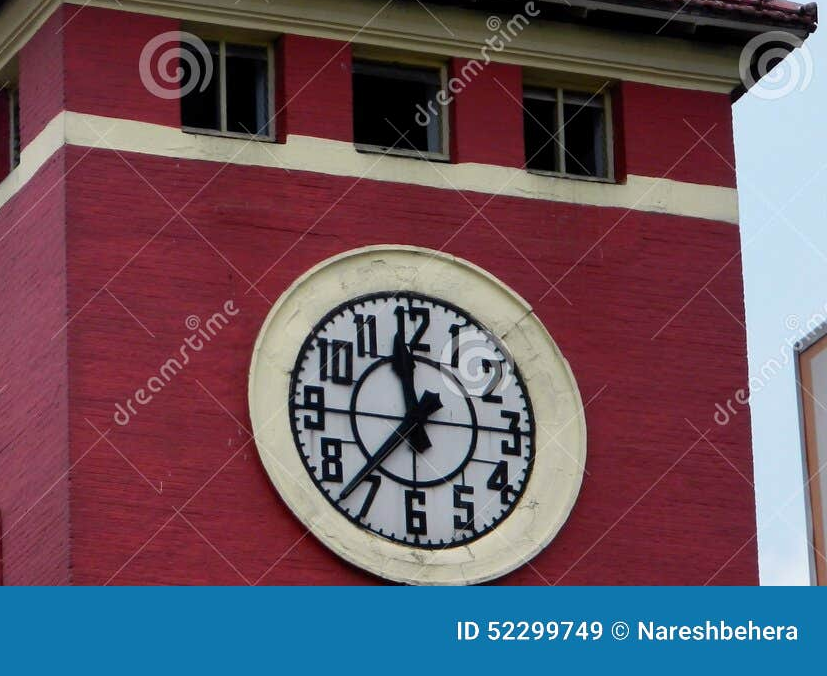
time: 11:36
